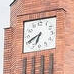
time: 6:40
